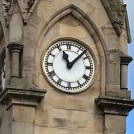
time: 11:07
